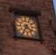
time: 4:35
